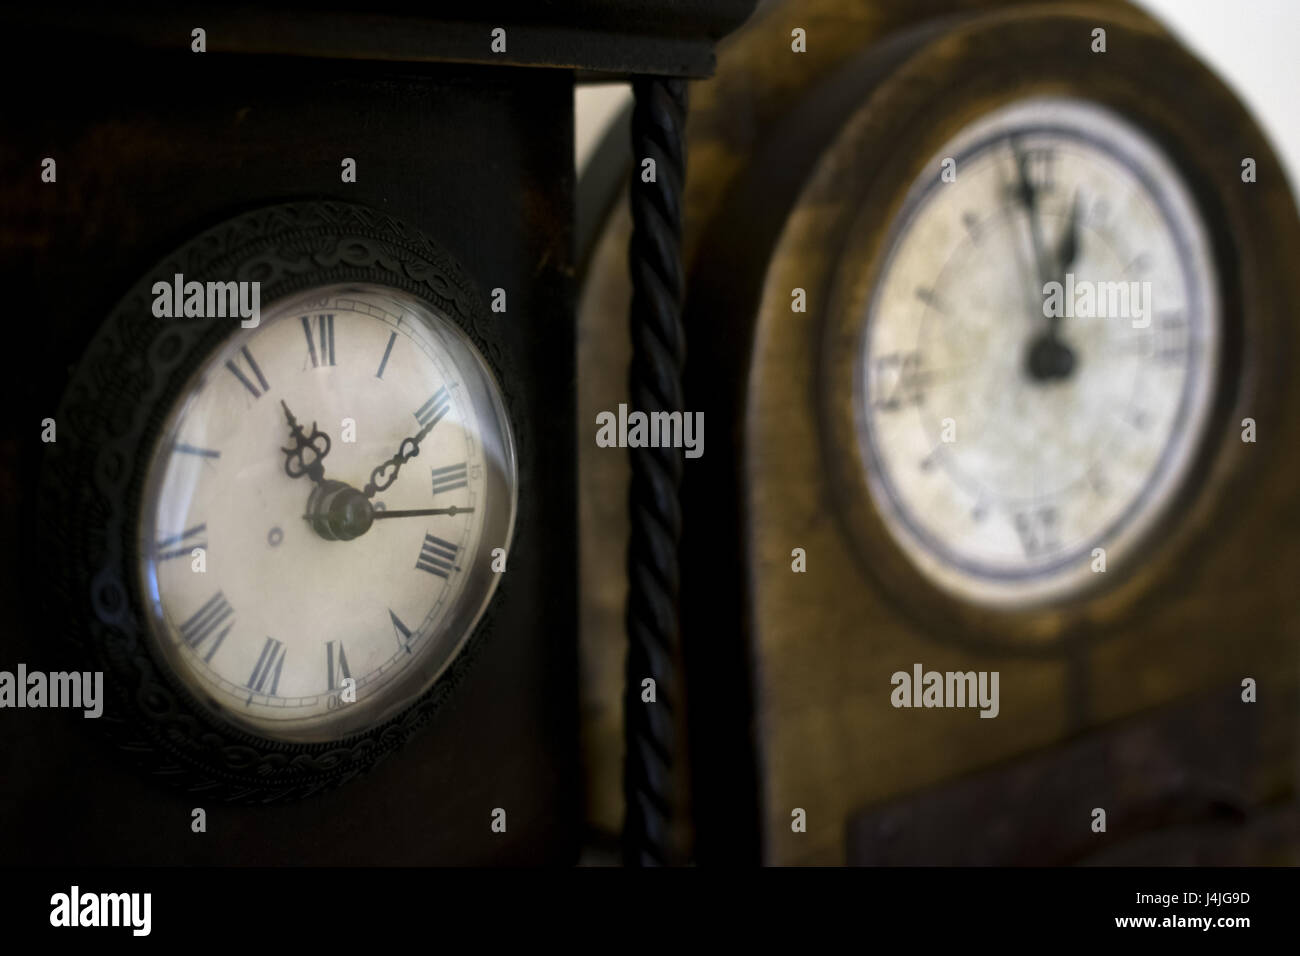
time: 1:00
